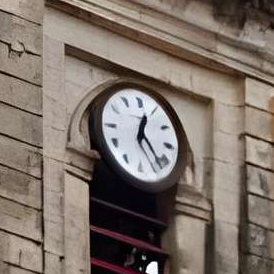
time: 12:23
